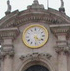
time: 4:28
